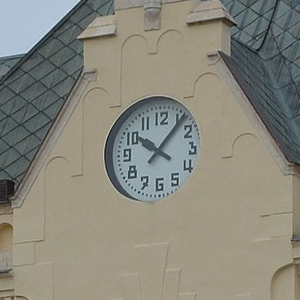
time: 10:06
